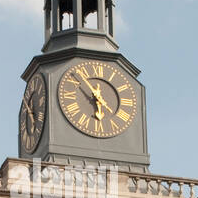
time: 5:53
